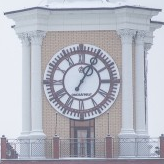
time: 1:05
